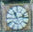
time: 11:13
